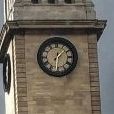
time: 1:30
